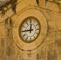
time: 11:44
